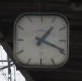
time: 1:18
